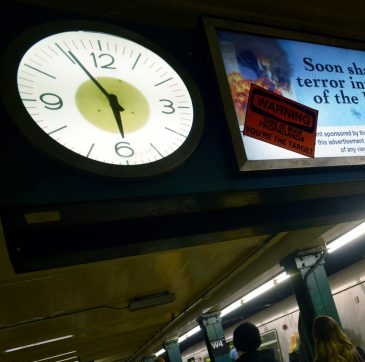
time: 5:55
